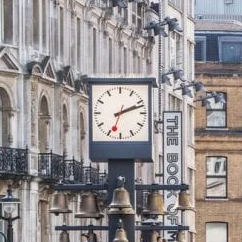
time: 2:12
